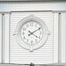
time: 4:09
